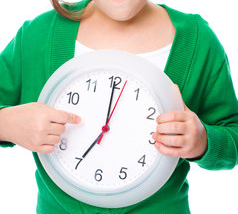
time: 7:00
